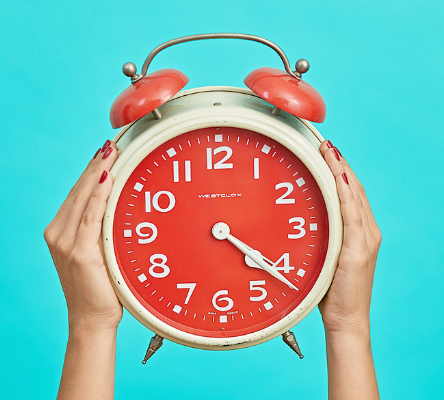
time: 4:21
